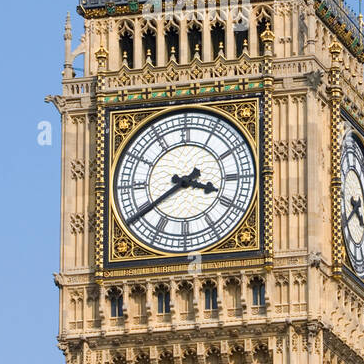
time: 3:39
